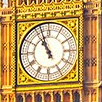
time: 10:56
